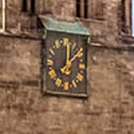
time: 12:07
